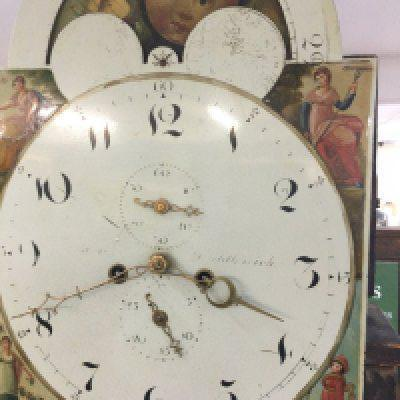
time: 3:40
